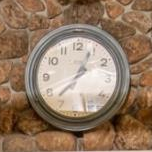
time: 12:37
